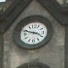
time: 3:48
